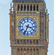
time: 3:33
